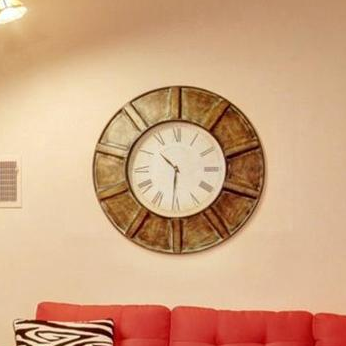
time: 10:30
